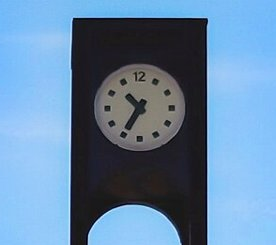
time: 10:35
